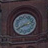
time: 2:40
